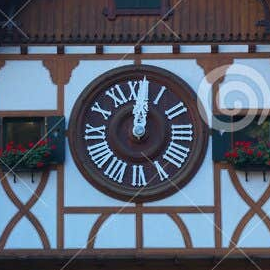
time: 12:01
